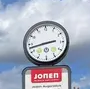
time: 2:42
